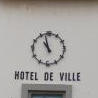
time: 10:57
